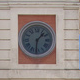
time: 1:31
